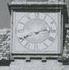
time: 2:40
